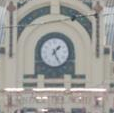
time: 1:25
